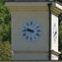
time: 9:45
